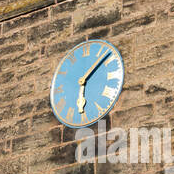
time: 6:08
